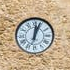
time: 12:03
